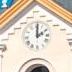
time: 2:00
